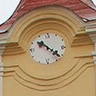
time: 10:21
